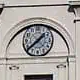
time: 1:38
